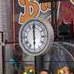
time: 6:00
